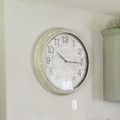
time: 10:15
